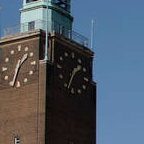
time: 1:34
